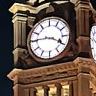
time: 3:45
